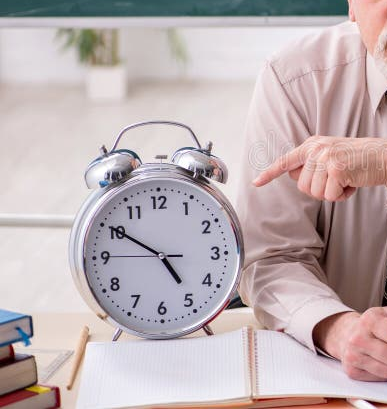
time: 4:50
